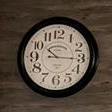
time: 10:15
